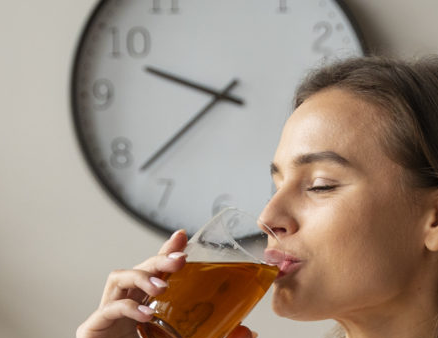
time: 9:38
